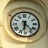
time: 6:23
